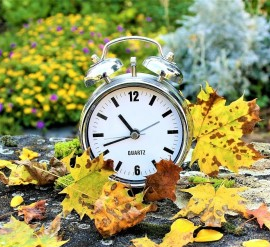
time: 10:41
